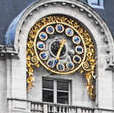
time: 6:32
